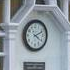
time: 4:11
